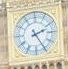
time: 2:25
